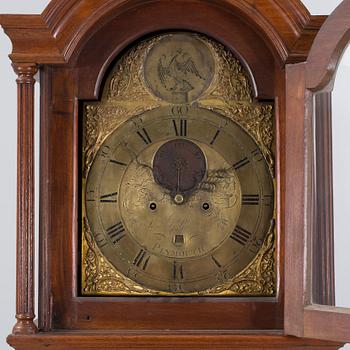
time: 1:10
